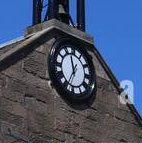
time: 11:35
